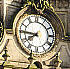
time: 7:45
